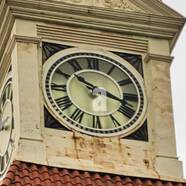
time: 10:18
